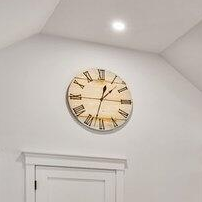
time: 1:32
